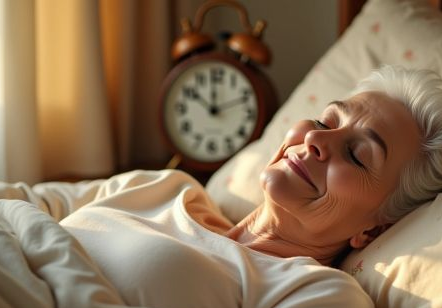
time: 10:11
